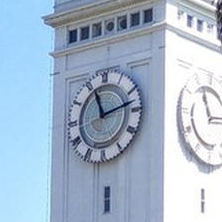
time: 11:12
